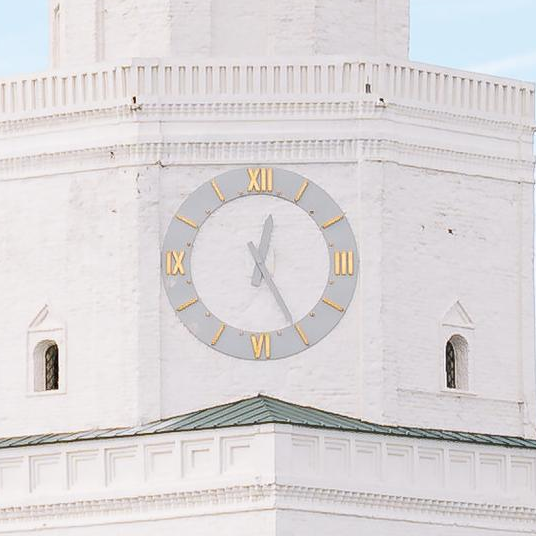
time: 12:25
